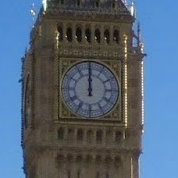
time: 11:59
